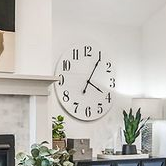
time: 4:05
